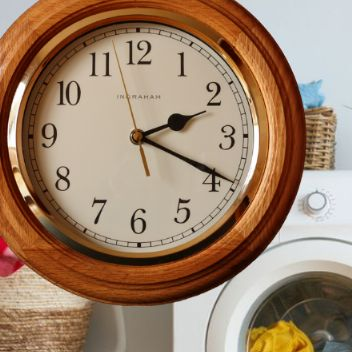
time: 2:19
